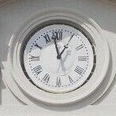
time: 12:57
